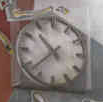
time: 10:38
